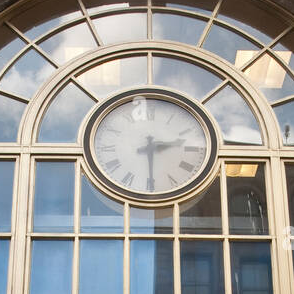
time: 2:29
